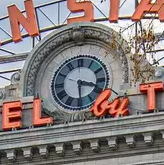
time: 3:29
